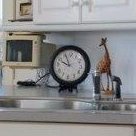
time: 9:55
